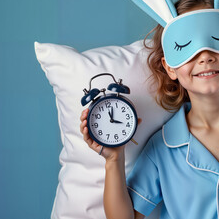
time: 12:19
